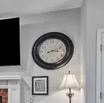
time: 3:11
